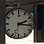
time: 2:16
